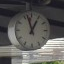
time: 12:57
